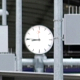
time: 8:45
